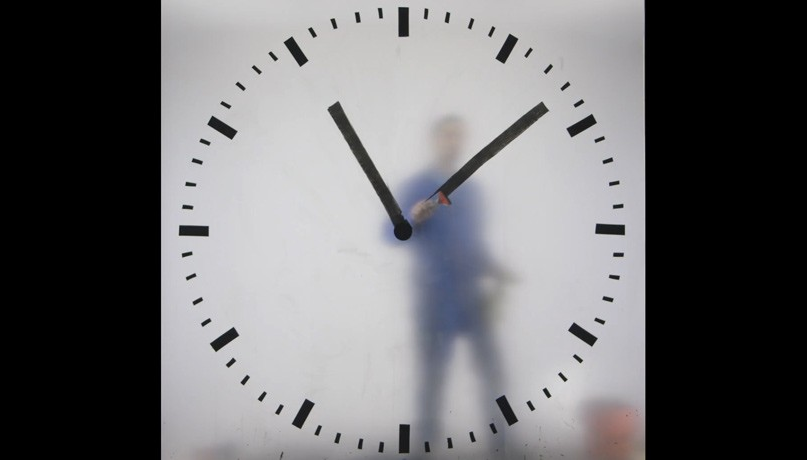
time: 11:08
